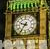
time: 9:36
